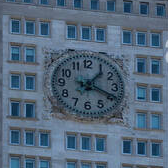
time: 1:18
